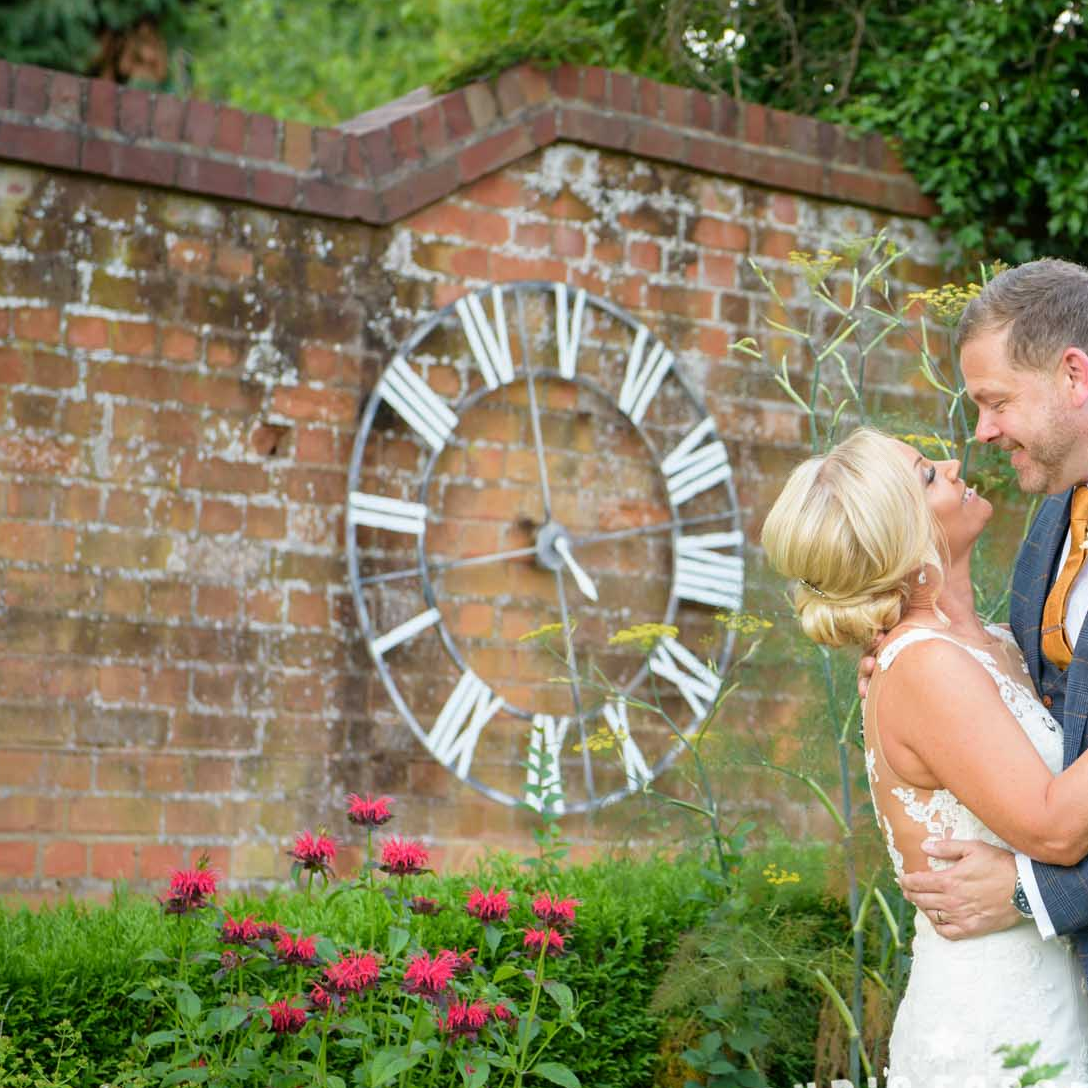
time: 4:12
